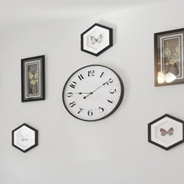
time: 9:09
